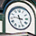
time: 3:26
